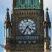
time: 4:35
